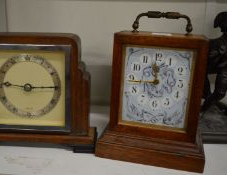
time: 11:44
